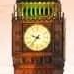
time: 9:37
